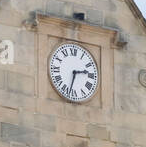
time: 2:32
